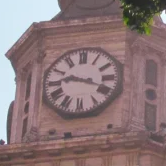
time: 9:18
